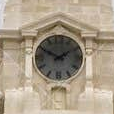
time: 1:49
